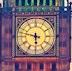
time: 5:47
